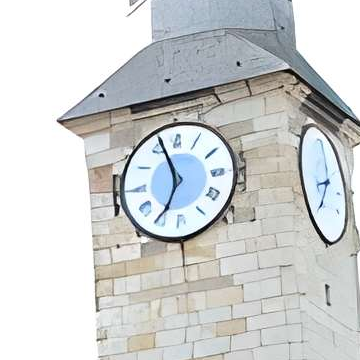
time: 6:56
